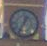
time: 12:34
